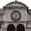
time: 11:32
